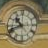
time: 10:41
